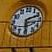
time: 2:29
